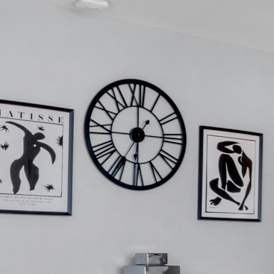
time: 6:00
